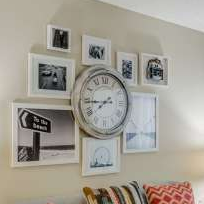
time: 7:44
